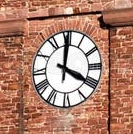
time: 4:00
